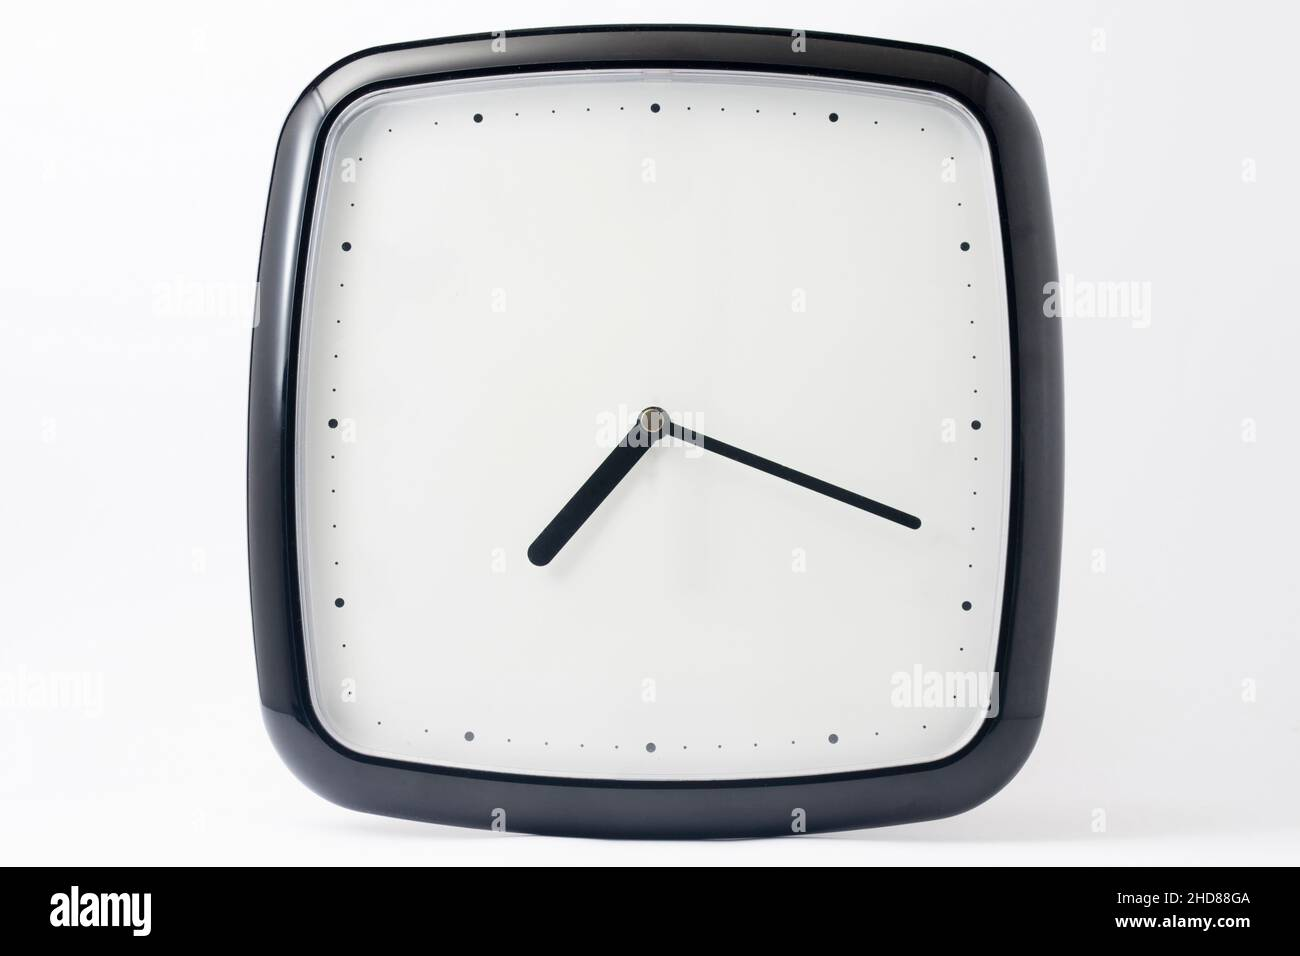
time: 7:18
